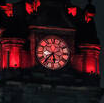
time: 5:37
